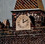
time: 12:11
